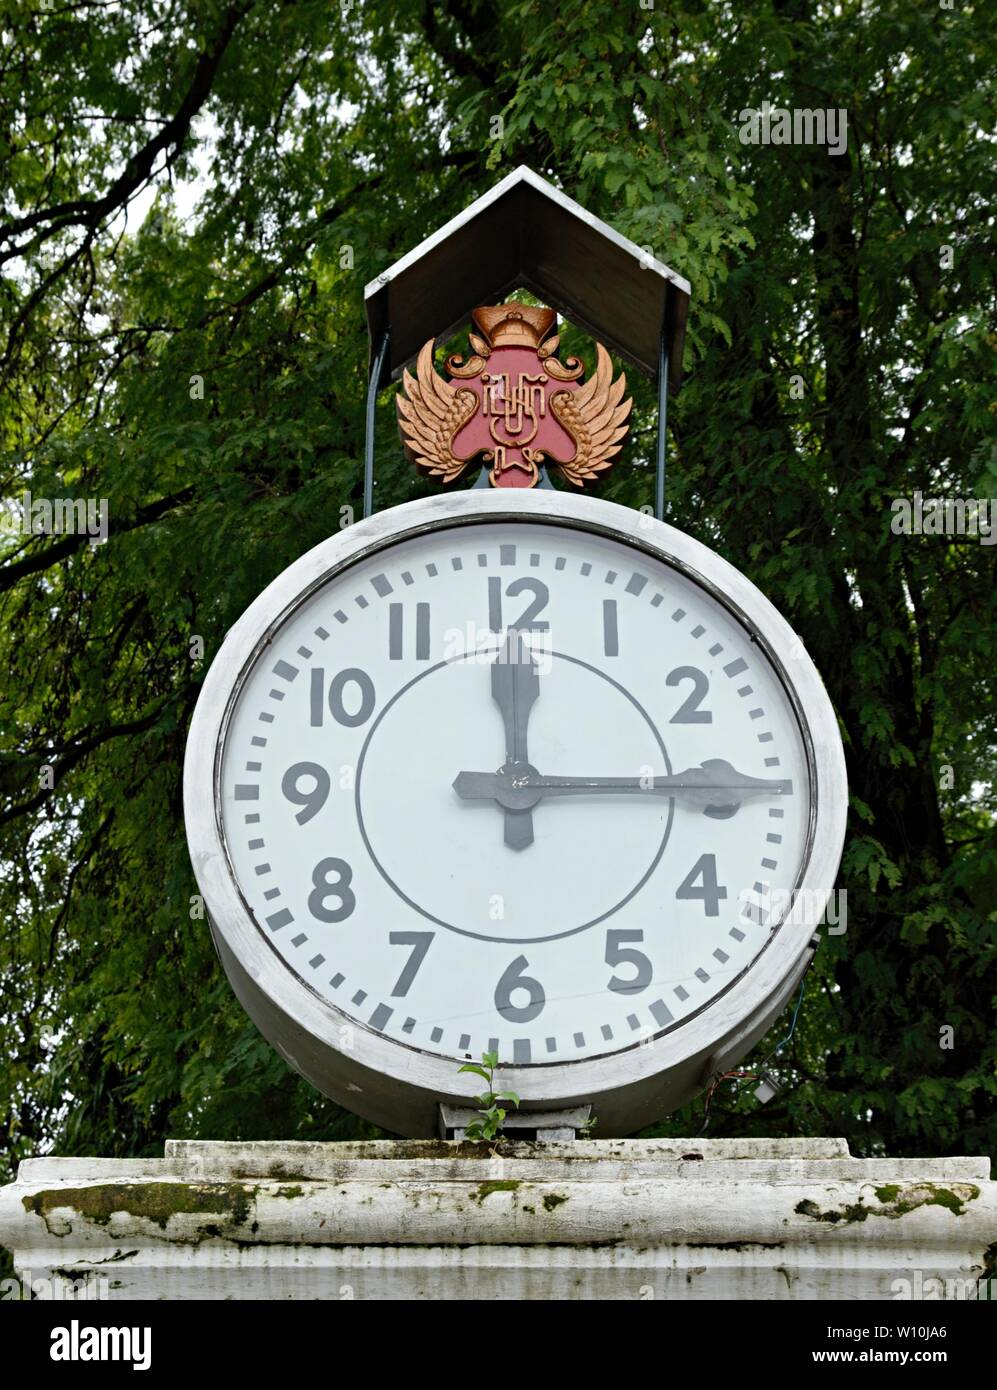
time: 12:14
